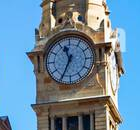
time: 11:34
